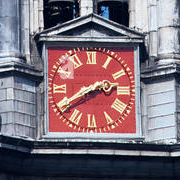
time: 2:40
